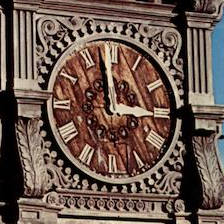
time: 2:58
